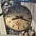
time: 8:18
